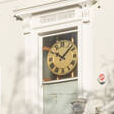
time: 10:07
